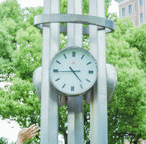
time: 4:44
